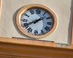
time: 1:40
